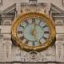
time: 12:26
